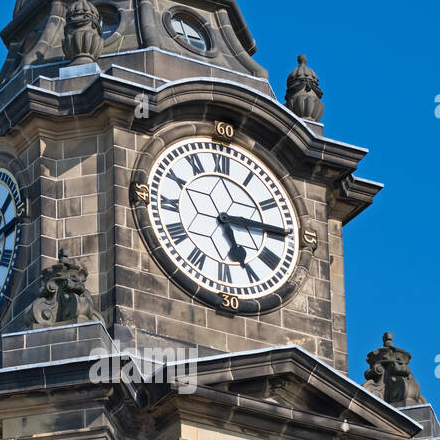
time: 5:14
